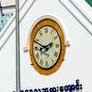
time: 8:48
